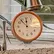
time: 11:52
